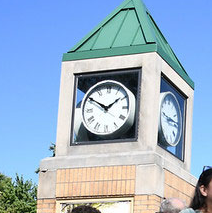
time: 1:50
